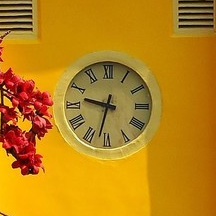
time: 9:32
